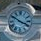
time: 3:50
